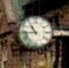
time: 10:43
